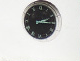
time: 2:14
